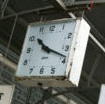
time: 10:18
